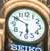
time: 5:49
